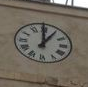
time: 12:59
